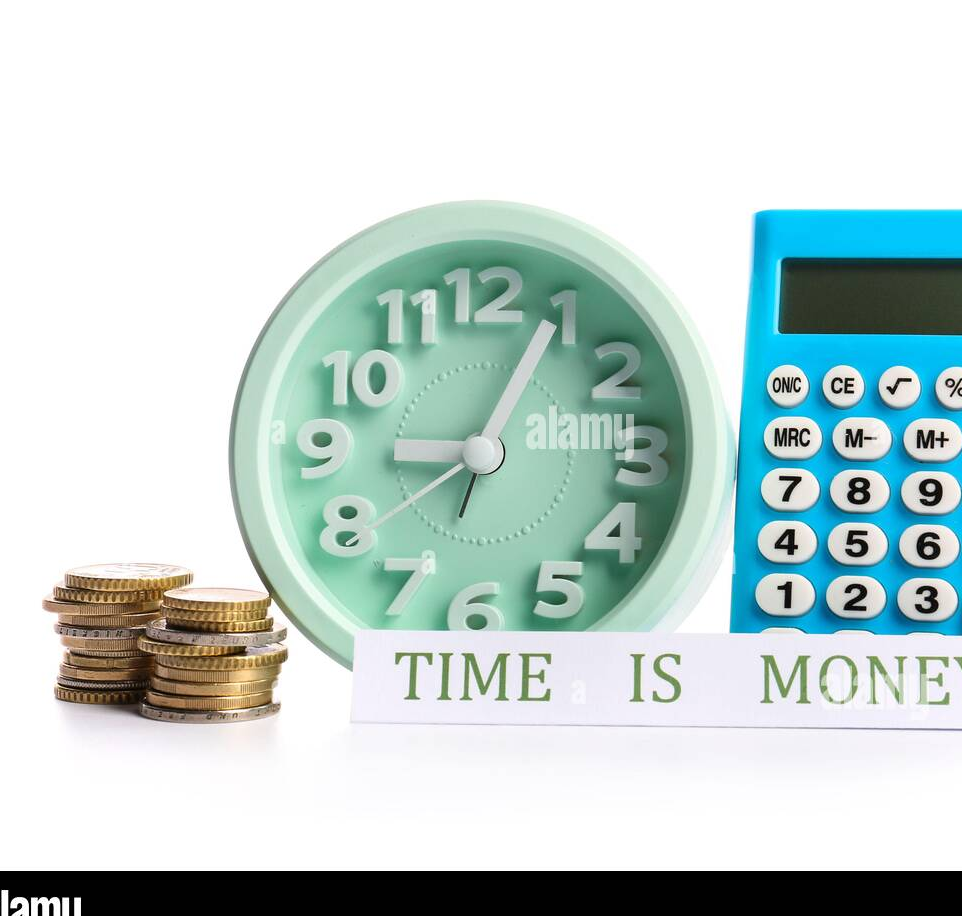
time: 9:04
